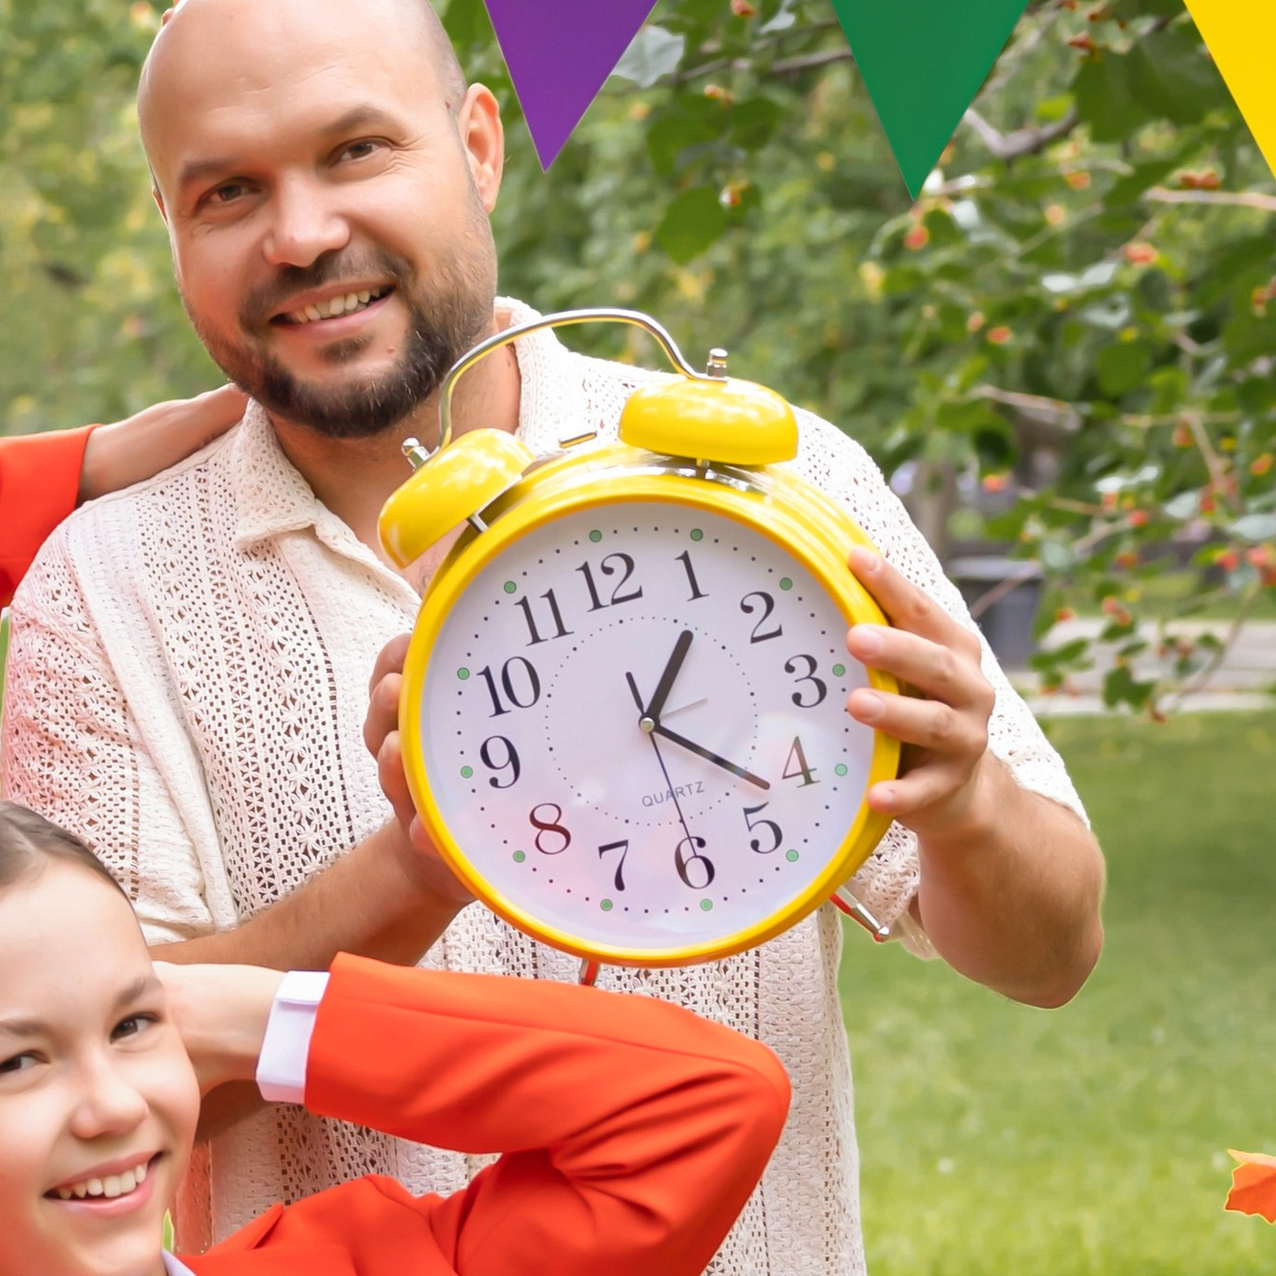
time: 1:21
